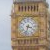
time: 3:32
